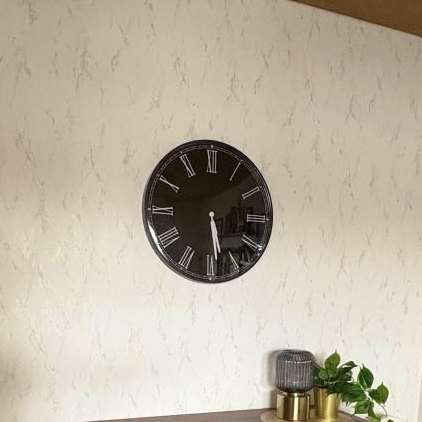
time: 5:28
